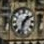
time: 1:32
